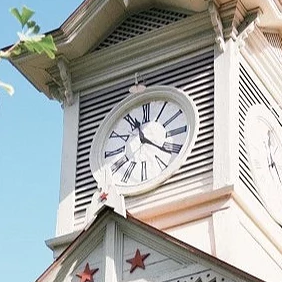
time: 11:21
